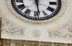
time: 12:28
